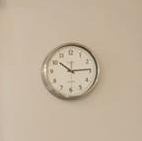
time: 10:14
